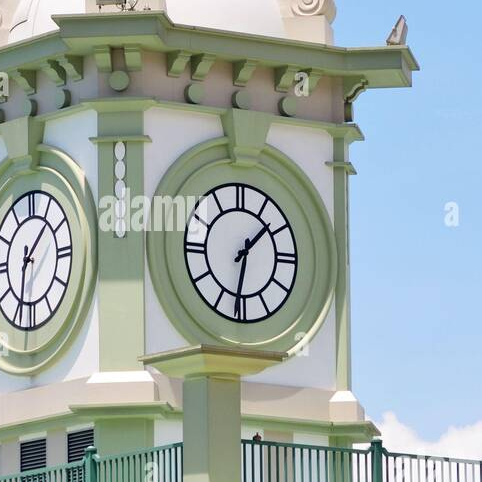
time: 1:31
